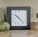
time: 10:22
